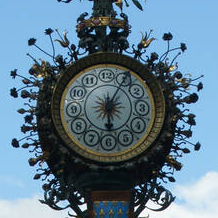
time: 6:05
